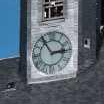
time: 2:54
